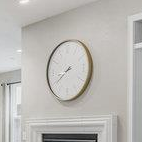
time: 8:39
